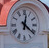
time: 12:21
